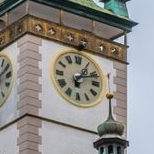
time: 1:11
